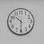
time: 10:30
